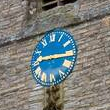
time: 9:15
